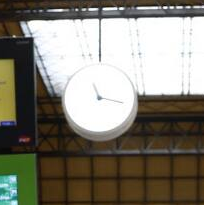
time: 11:17
